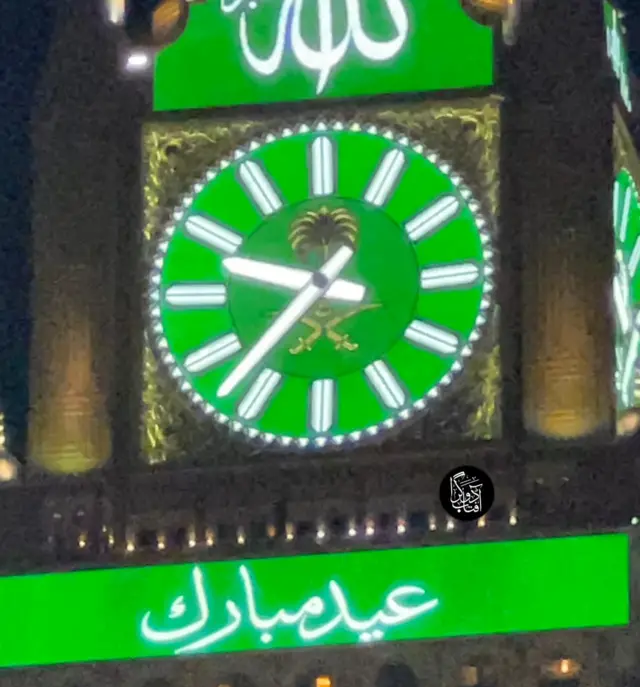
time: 9:37
